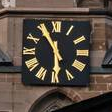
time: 5:54
